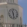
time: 11:28
